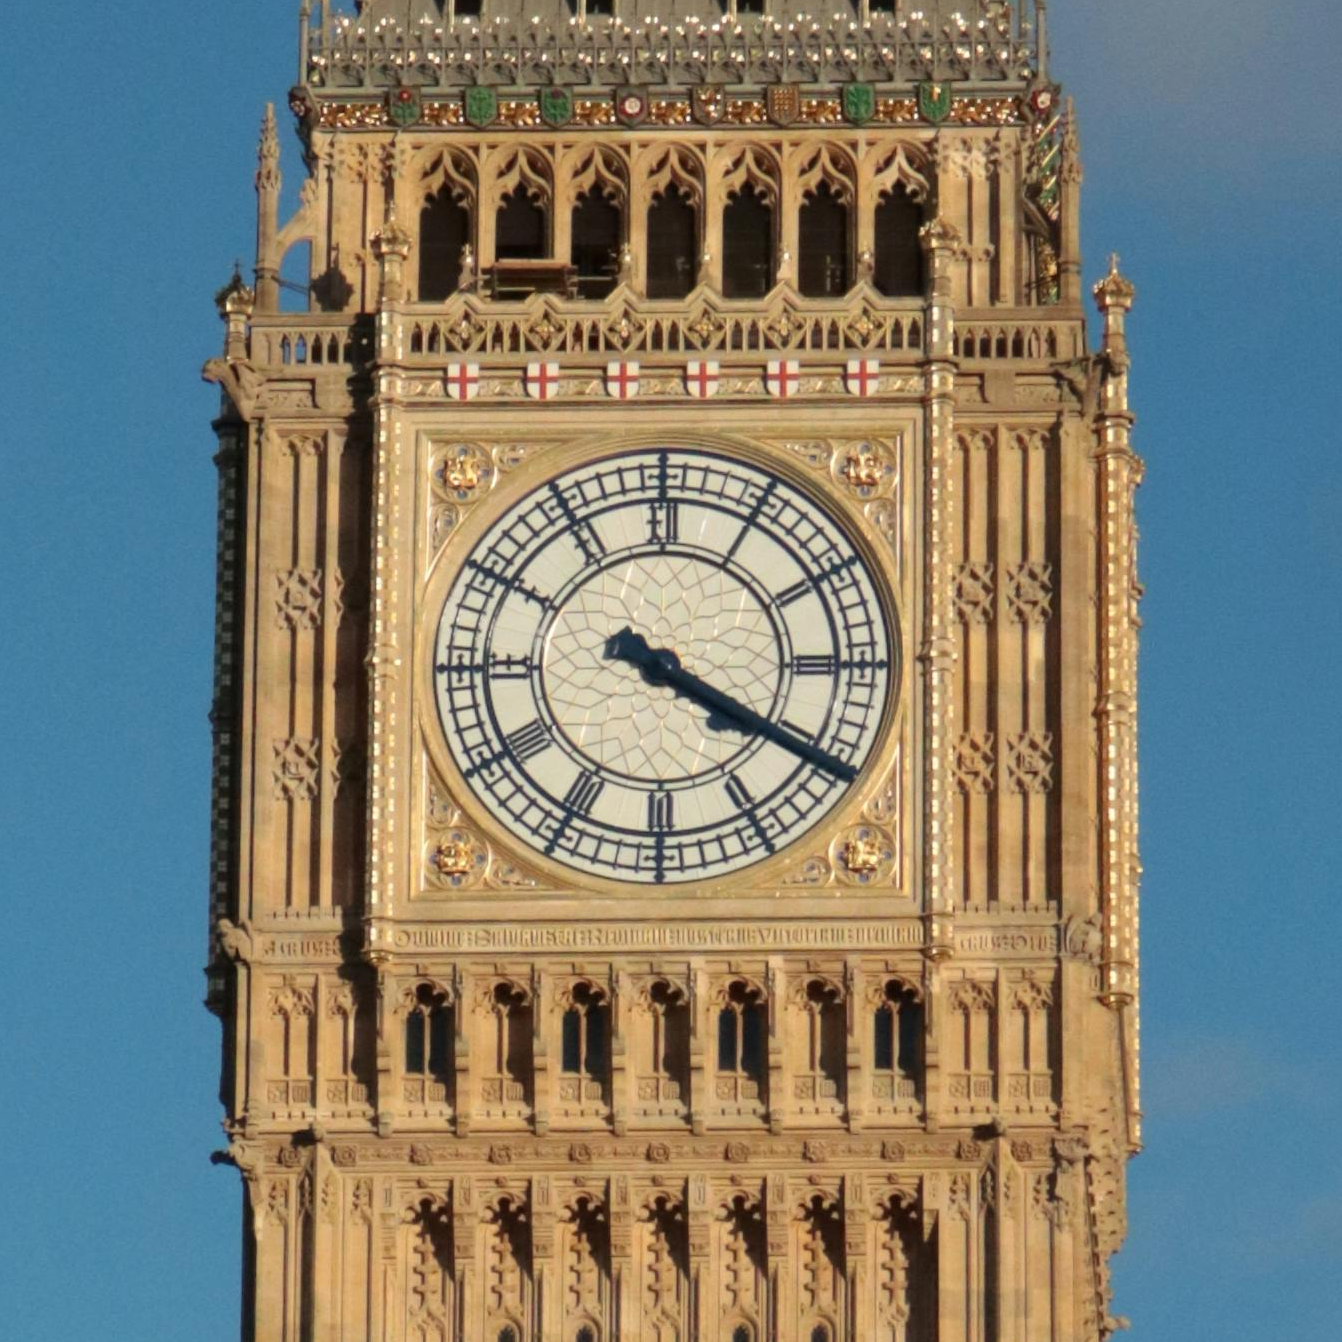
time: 4:20
